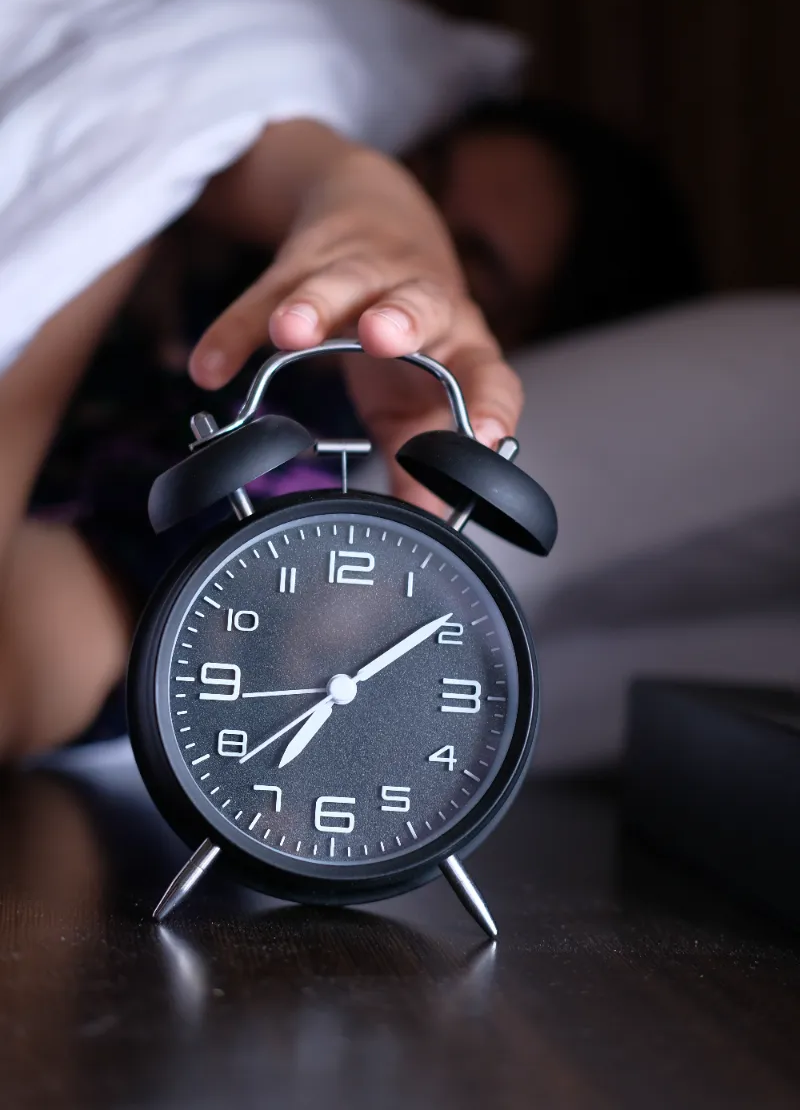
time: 7:09
